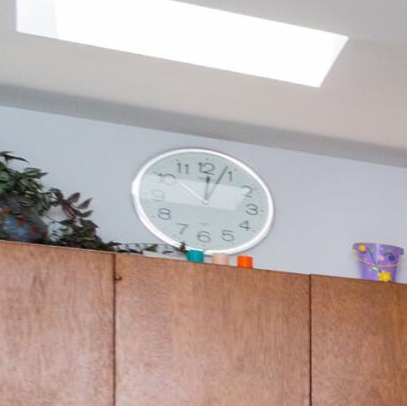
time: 12:03
